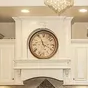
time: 11:19
